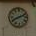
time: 8:11
